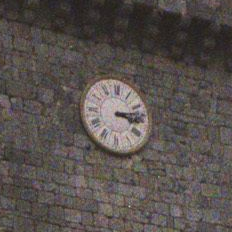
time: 3:12
